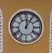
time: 12:05
